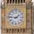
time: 1:46
